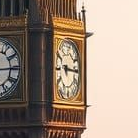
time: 9:15
